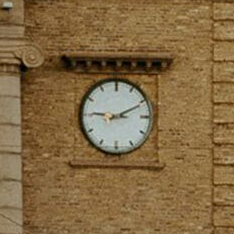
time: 9:10
